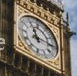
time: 11:14
